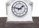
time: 1:47
